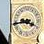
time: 3:43
